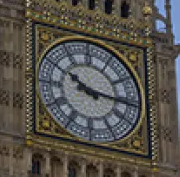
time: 10:15
